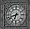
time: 6:41
